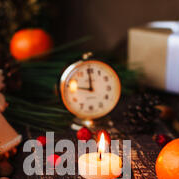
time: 8:59
